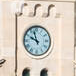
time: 9:57
